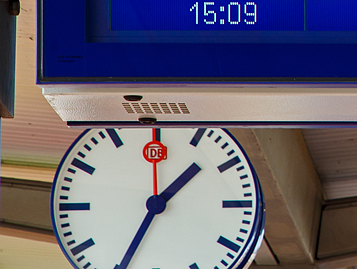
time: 1:34
